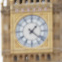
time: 1:21
